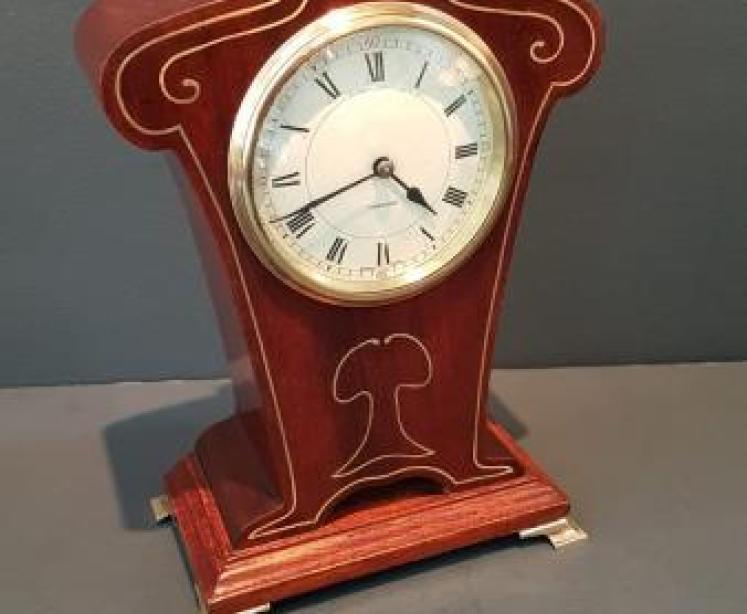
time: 4:41
